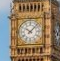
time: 10:07
